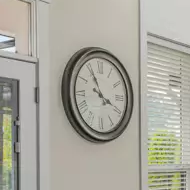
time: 3:55
